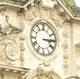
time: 3:14
